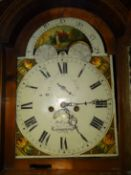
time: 5:14
